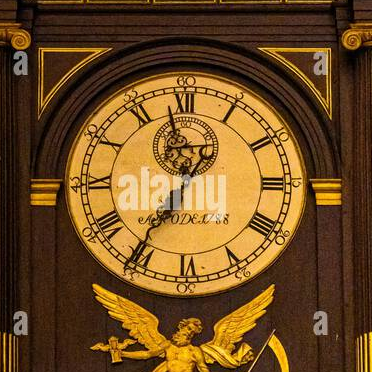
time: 11:35
